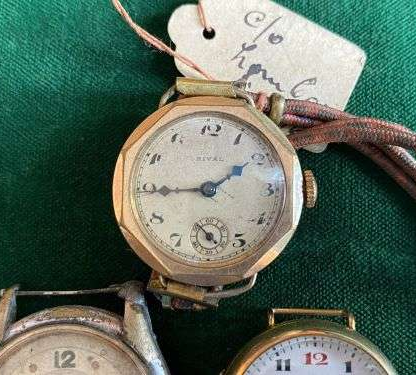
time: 1:44
